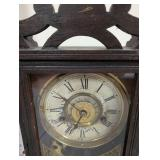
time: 6:50
